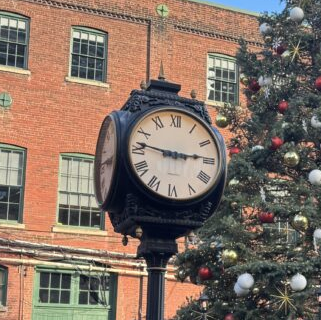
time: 2:46
